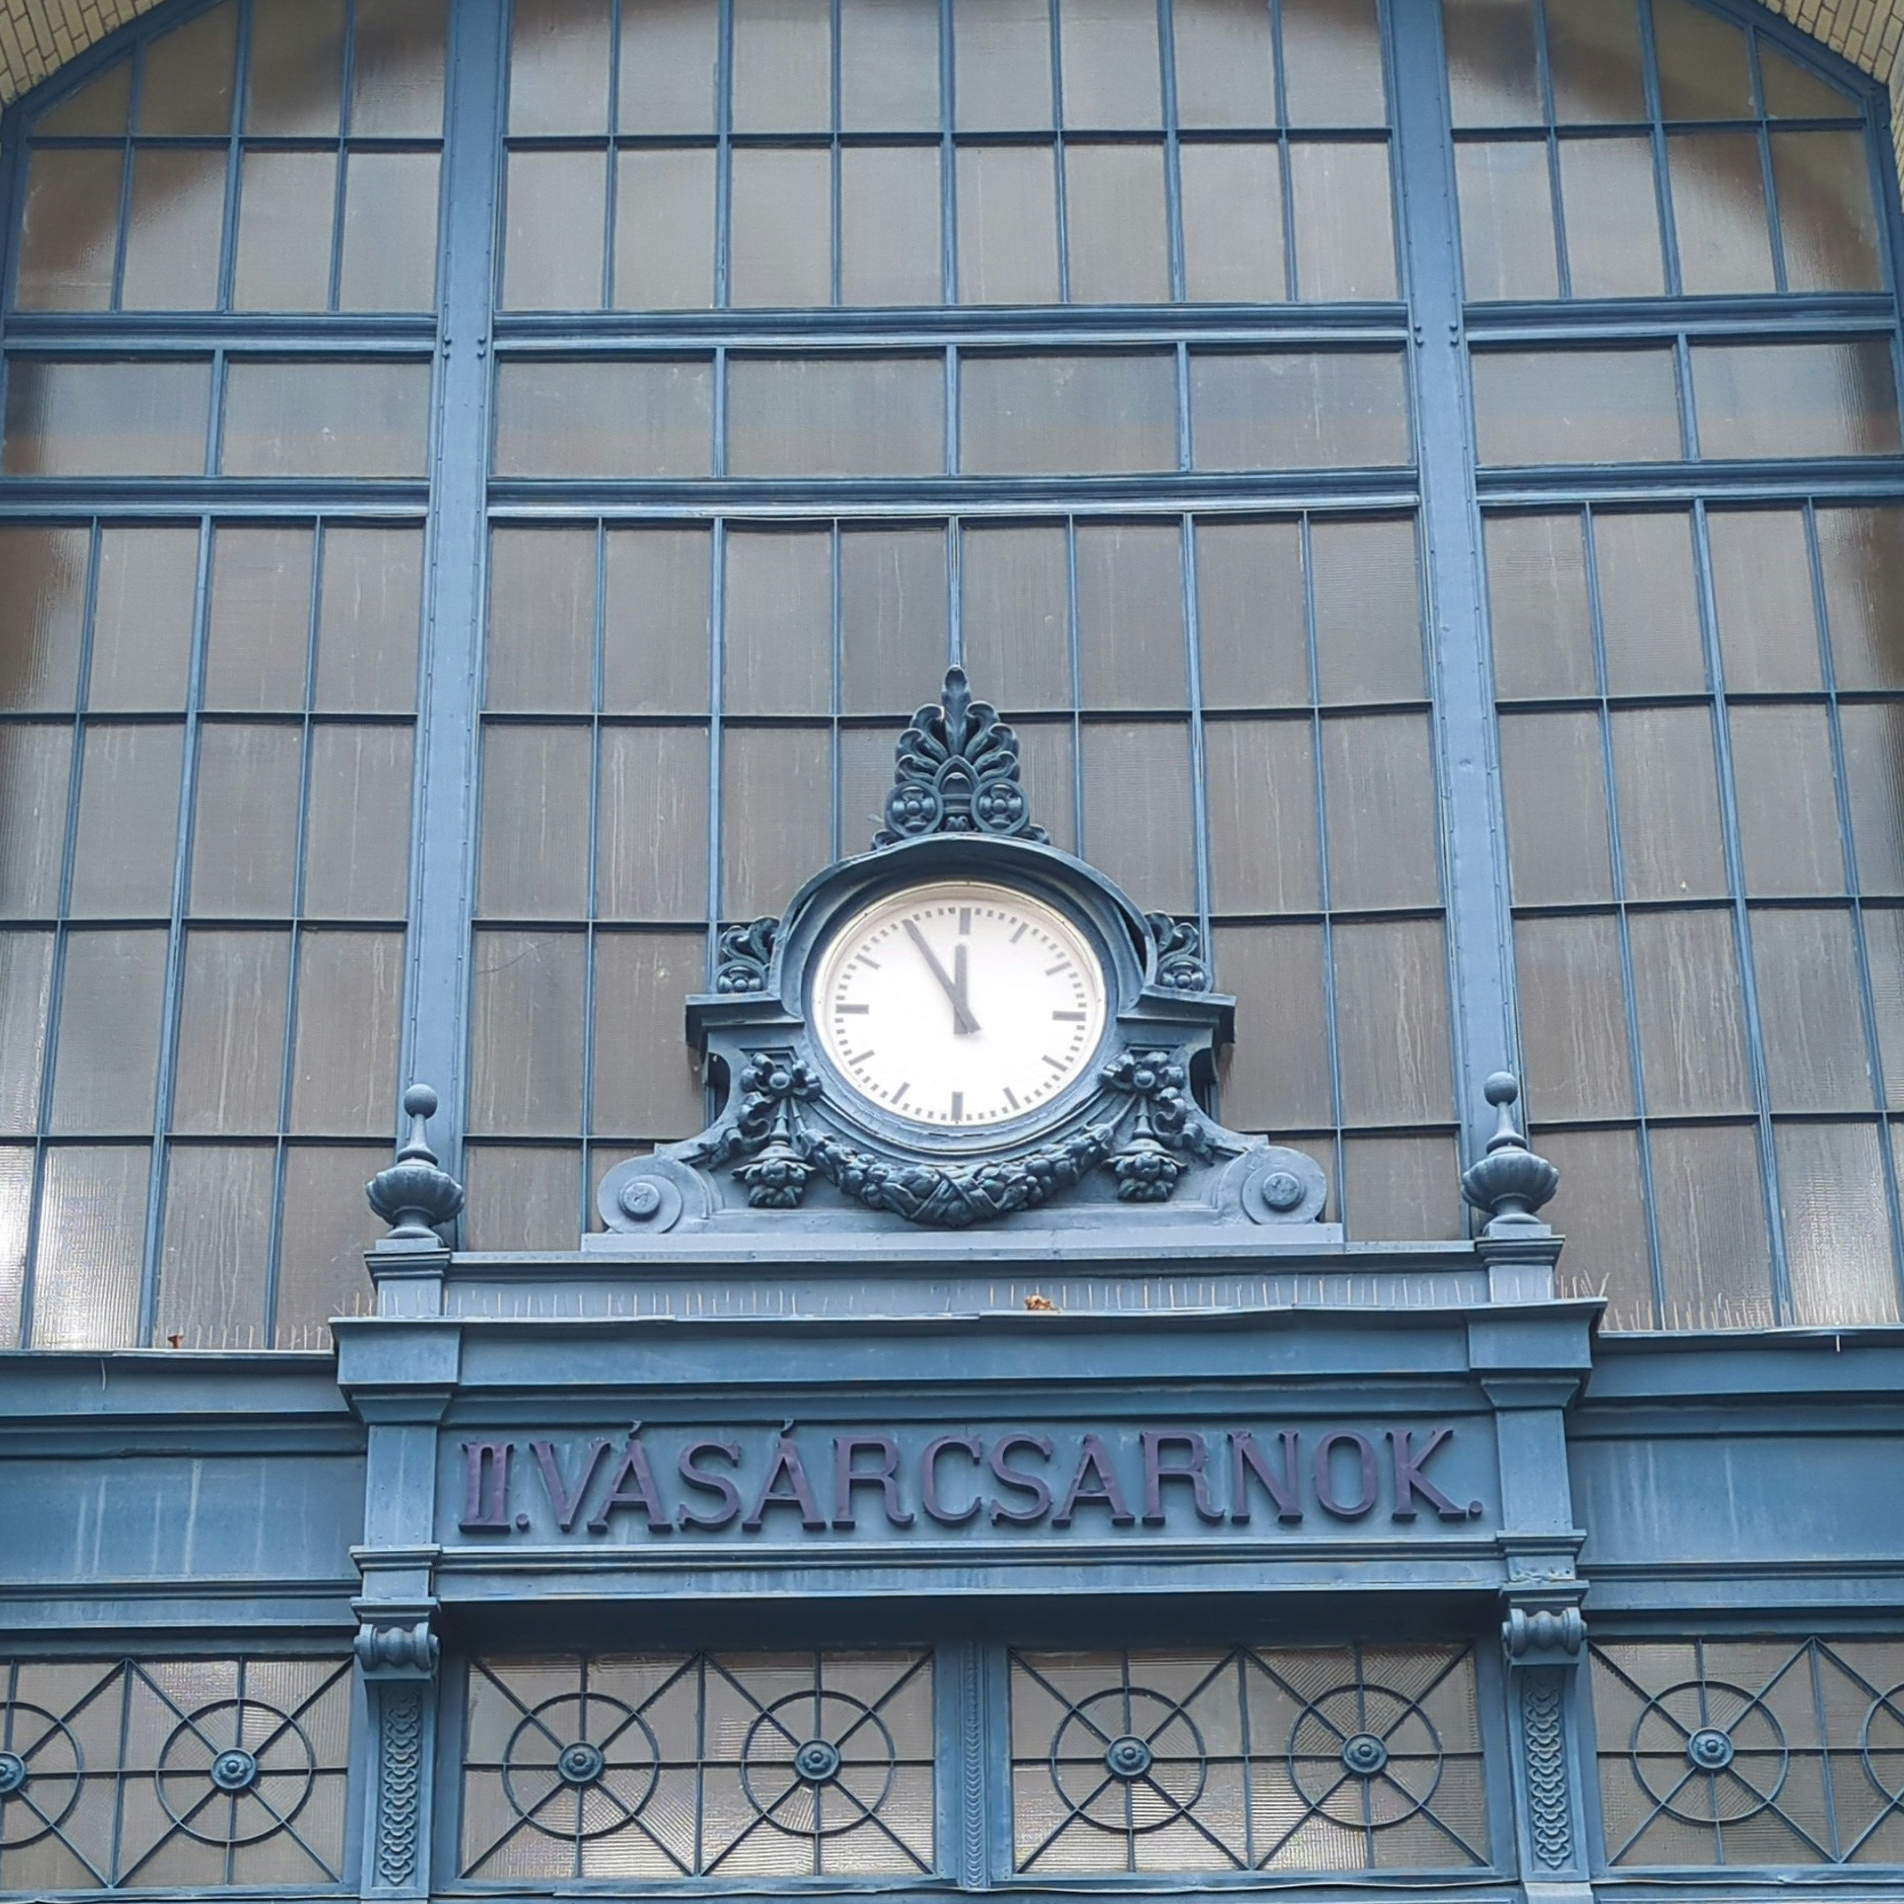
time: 11:55
